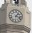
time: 1:18
